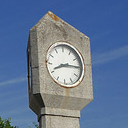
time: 8:14
